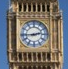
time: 2:44
